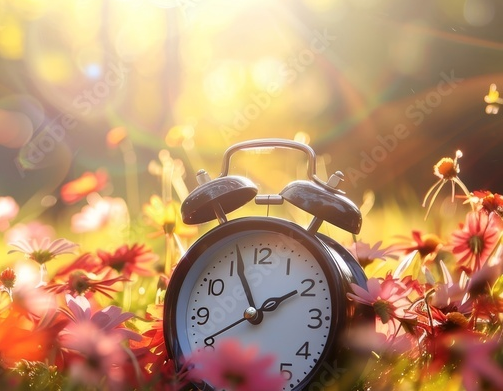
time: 1:56
